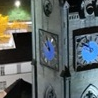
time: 9:57
